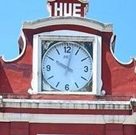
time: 10:02
